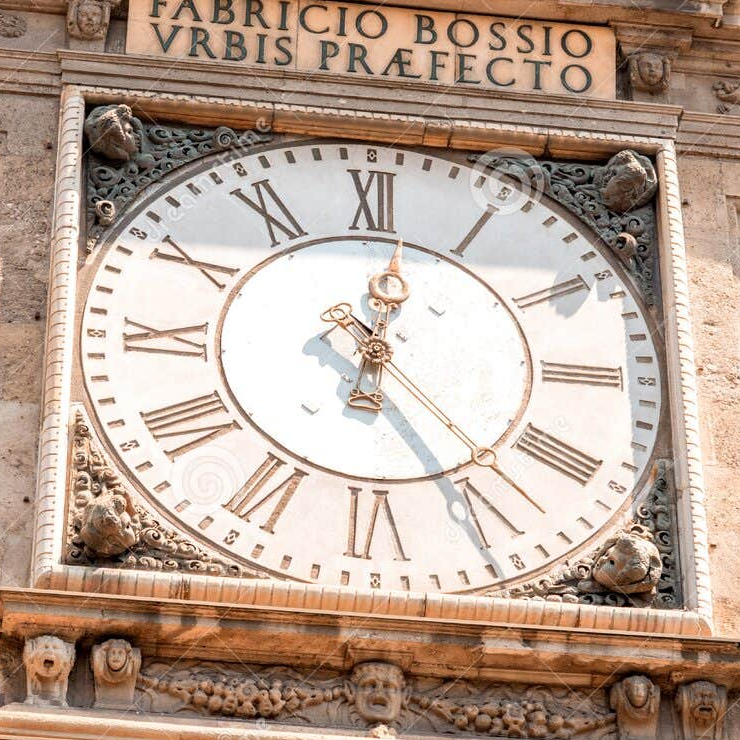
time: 12:24
